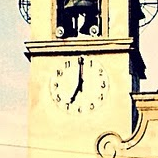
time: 7:00
